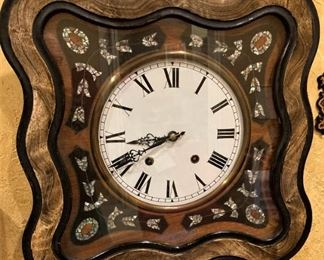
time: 8:40
